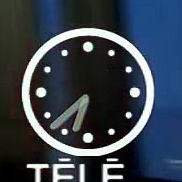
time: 6:37
